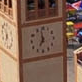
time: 6:58
